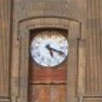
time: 5:18
